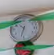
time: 6:32
